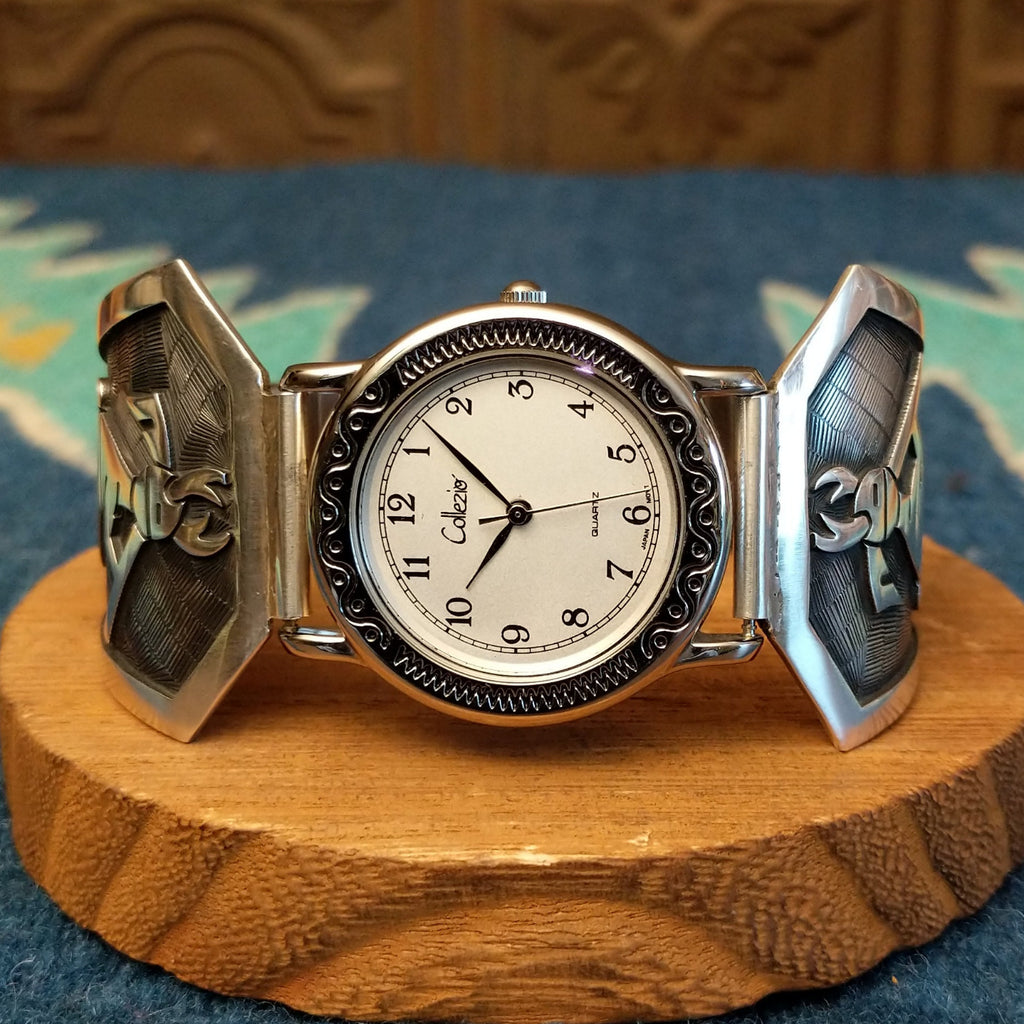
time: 6:52
